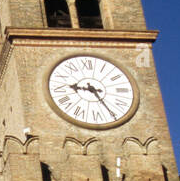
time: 9:25
